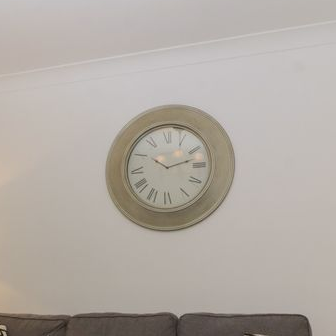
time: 10:12
